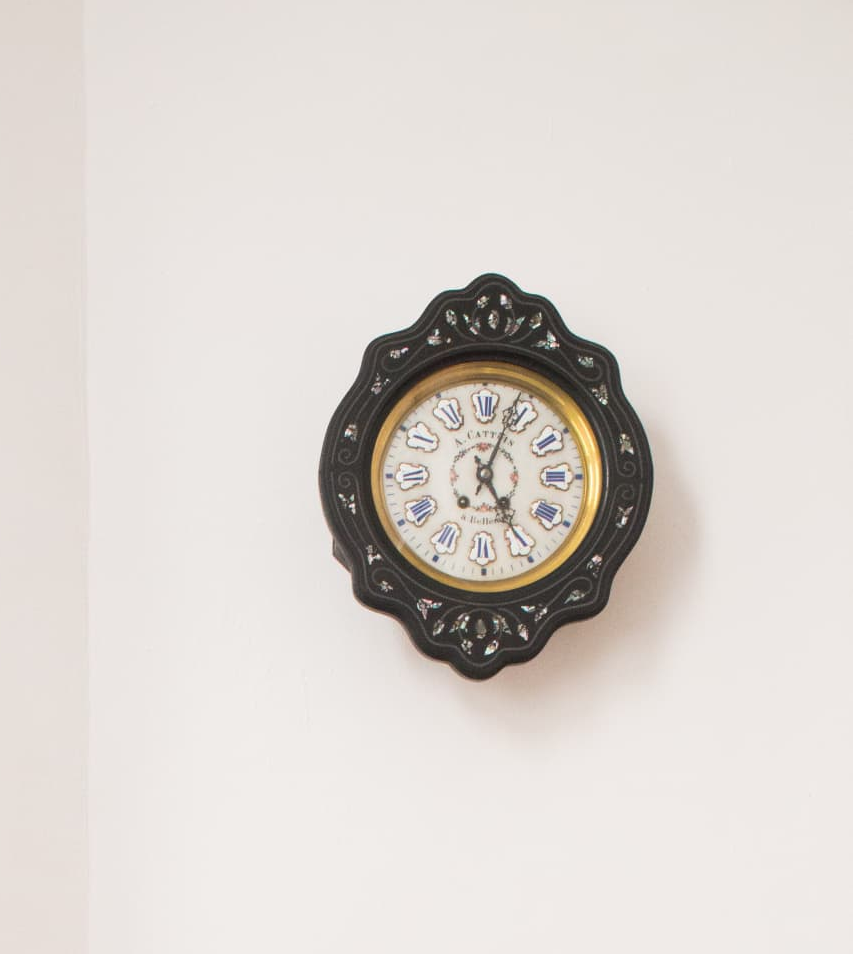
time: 5:03
